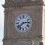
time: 2:38
